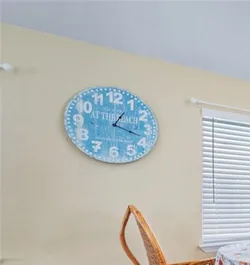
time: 1:18
